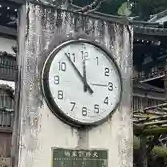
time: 11:53
